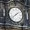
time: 1:38
